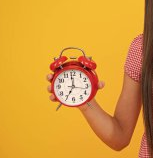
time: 6:59
